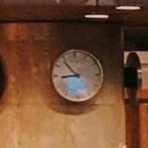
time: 8:53
